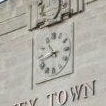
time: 10:42
